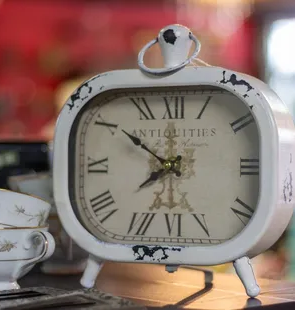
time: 7:50
